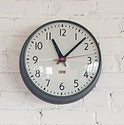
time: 11:07
